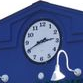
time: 2:40
